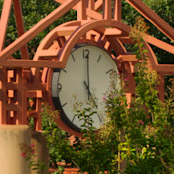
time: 5:00
